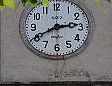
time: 2:40
